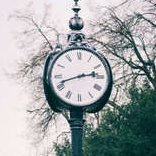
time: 2:41
